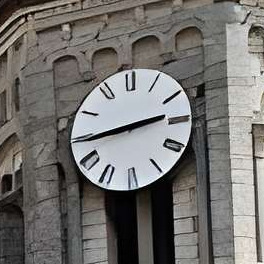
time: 2:43
